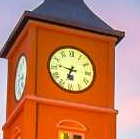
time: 6:46
